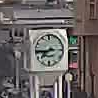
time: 7:44
